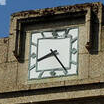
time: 8:24
